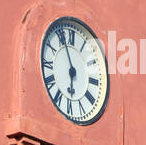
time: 5:56
